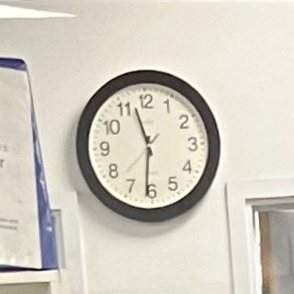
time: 11:31
